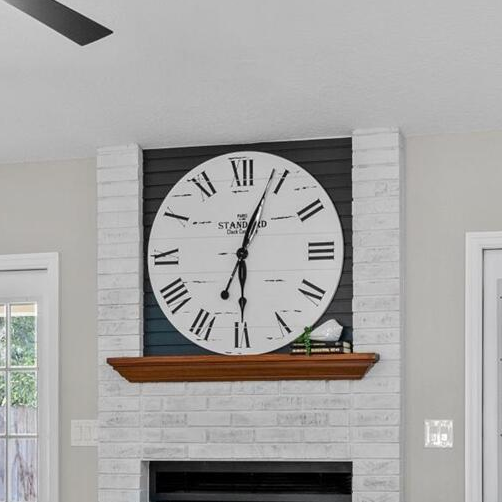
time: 6:03
